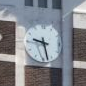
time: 9:27
